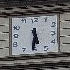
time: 5:31
